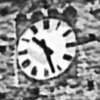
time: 10:27
